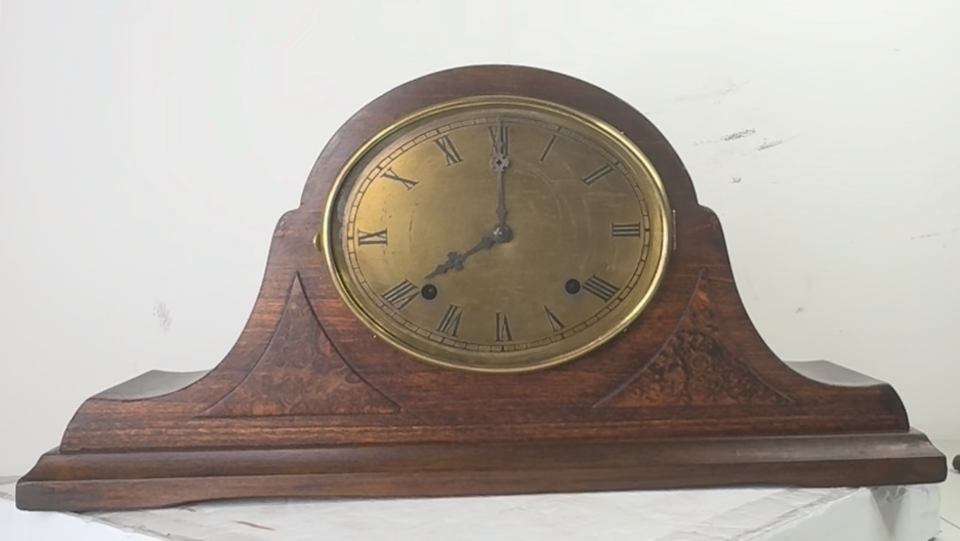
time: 8:00
